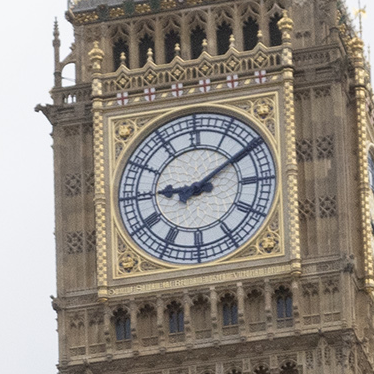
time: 9:09
